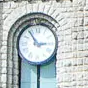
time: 2:54
